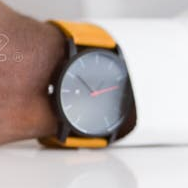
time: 10:12
